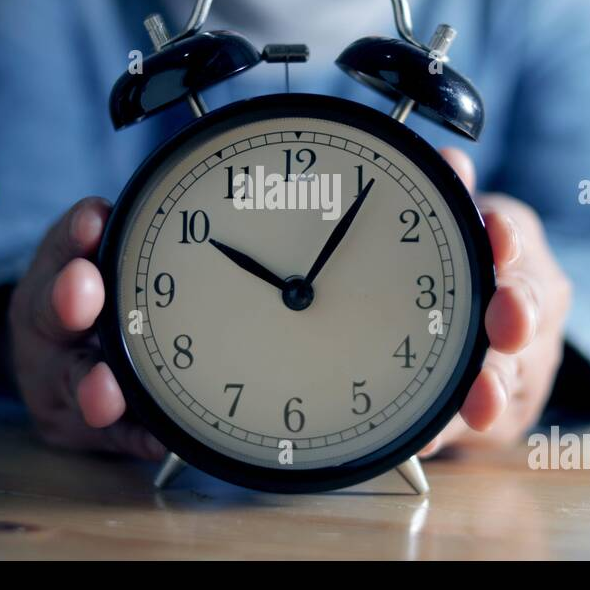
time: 10:05
